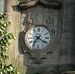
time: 7:20
